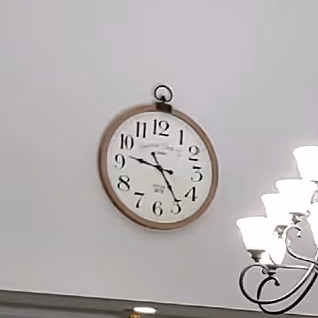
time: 9:24
